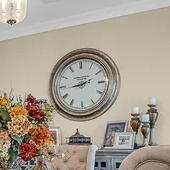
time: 8:43
